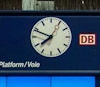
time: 7:48
